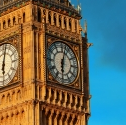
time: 6:02
